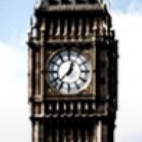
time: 12:37
